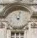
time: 11:02
